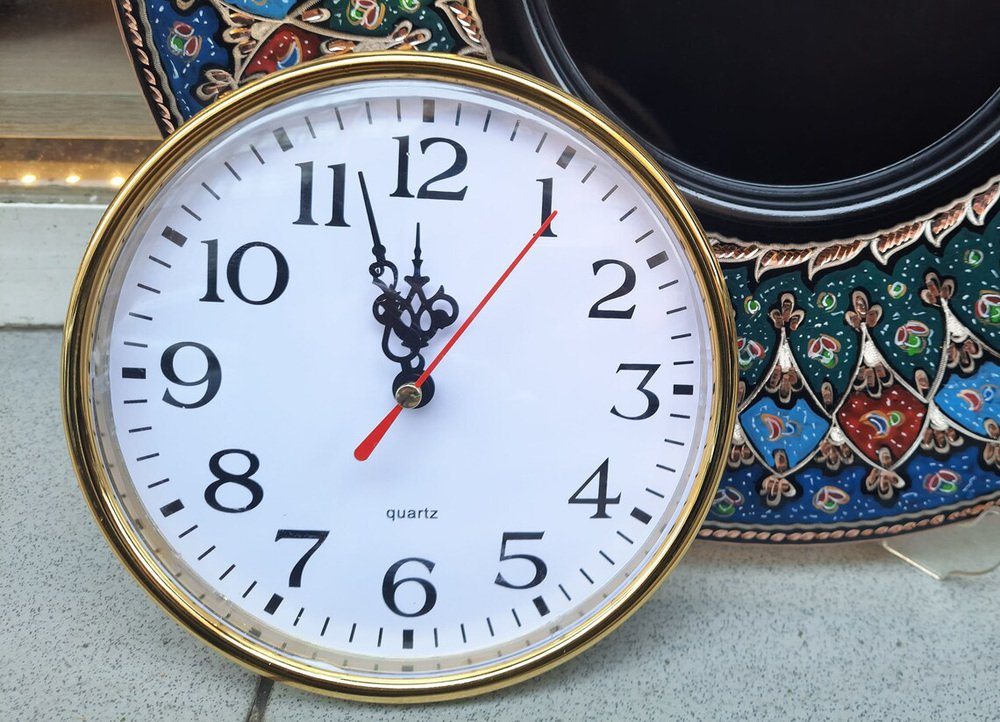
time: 11:57
